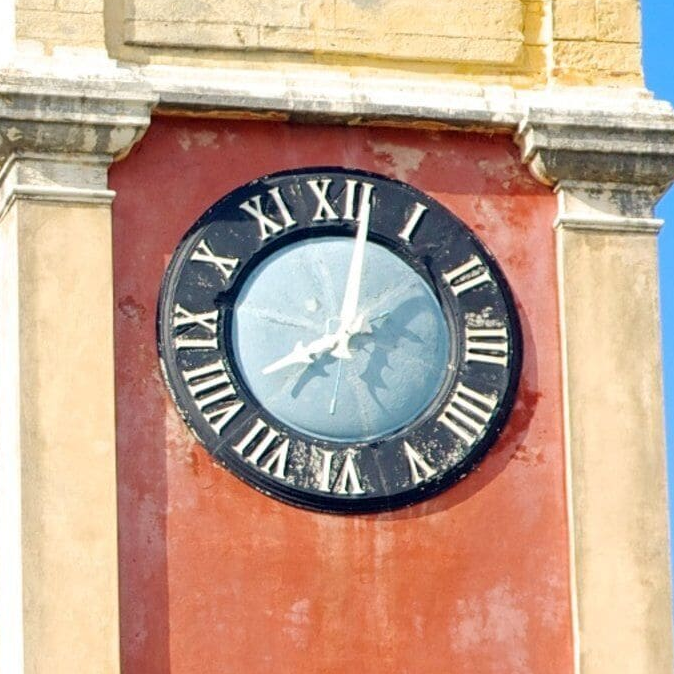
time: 8:01
